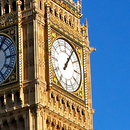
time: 1:05
